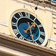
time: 1:28
